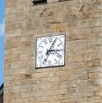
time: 3:04
